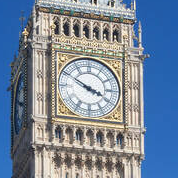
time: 3:50
